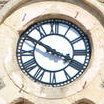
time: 3:50
